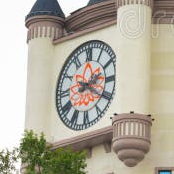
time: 2:20
